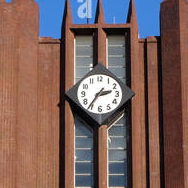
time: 2:36
